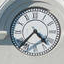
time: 4:37
